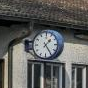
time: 1:24
